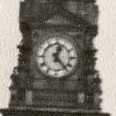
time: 12:23
